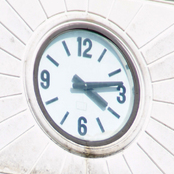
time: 4:13
